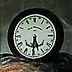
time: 5:31
